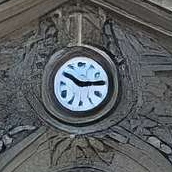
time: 10:14
